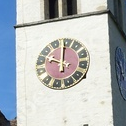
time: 9:59
